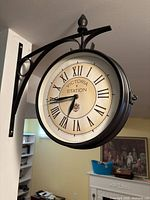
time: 6:44
